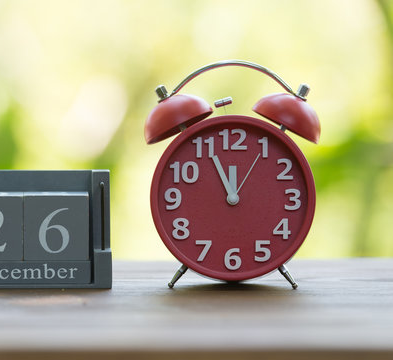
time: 11:55
